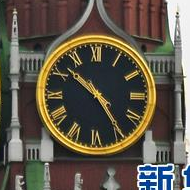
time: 10:24
